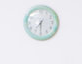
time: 7:30
